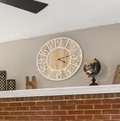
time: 4:12
